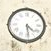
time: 4:28
